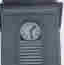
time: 1:28
